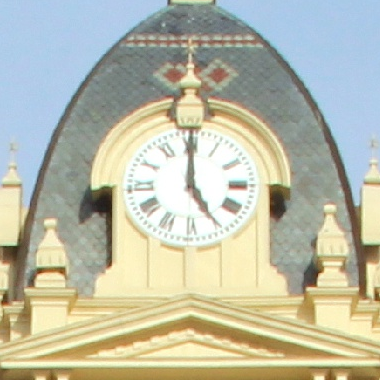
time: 4:59
